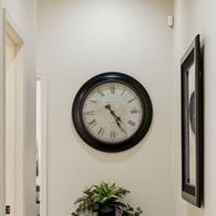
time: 4:24
